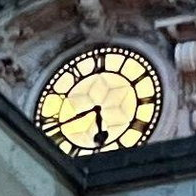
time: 5:42
